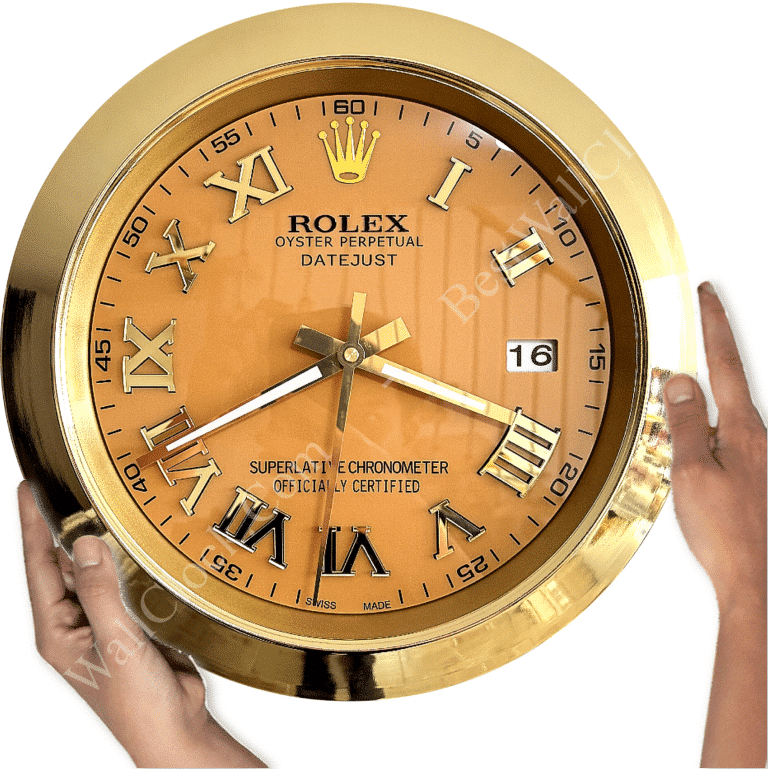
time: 3:40
